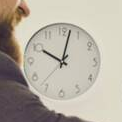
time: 10:02
